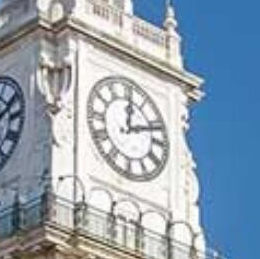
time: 12:11
